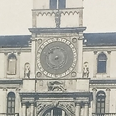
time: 7:52
